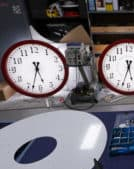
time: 5:33
